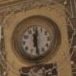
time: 12:28
